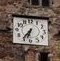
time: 6:36
